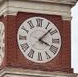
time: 4:07
